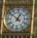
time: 12:51
